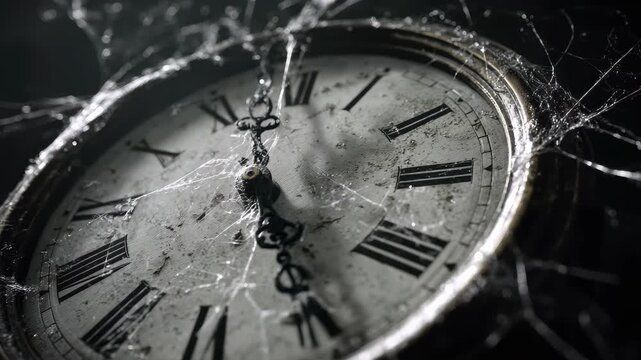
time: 4:57
